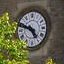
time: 4:48
